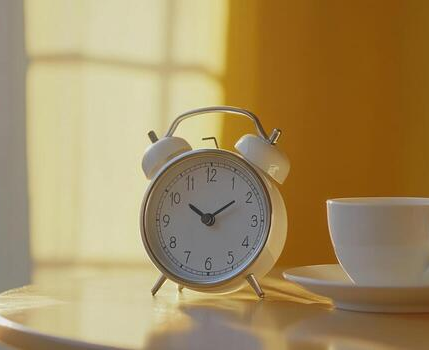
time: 10:09
